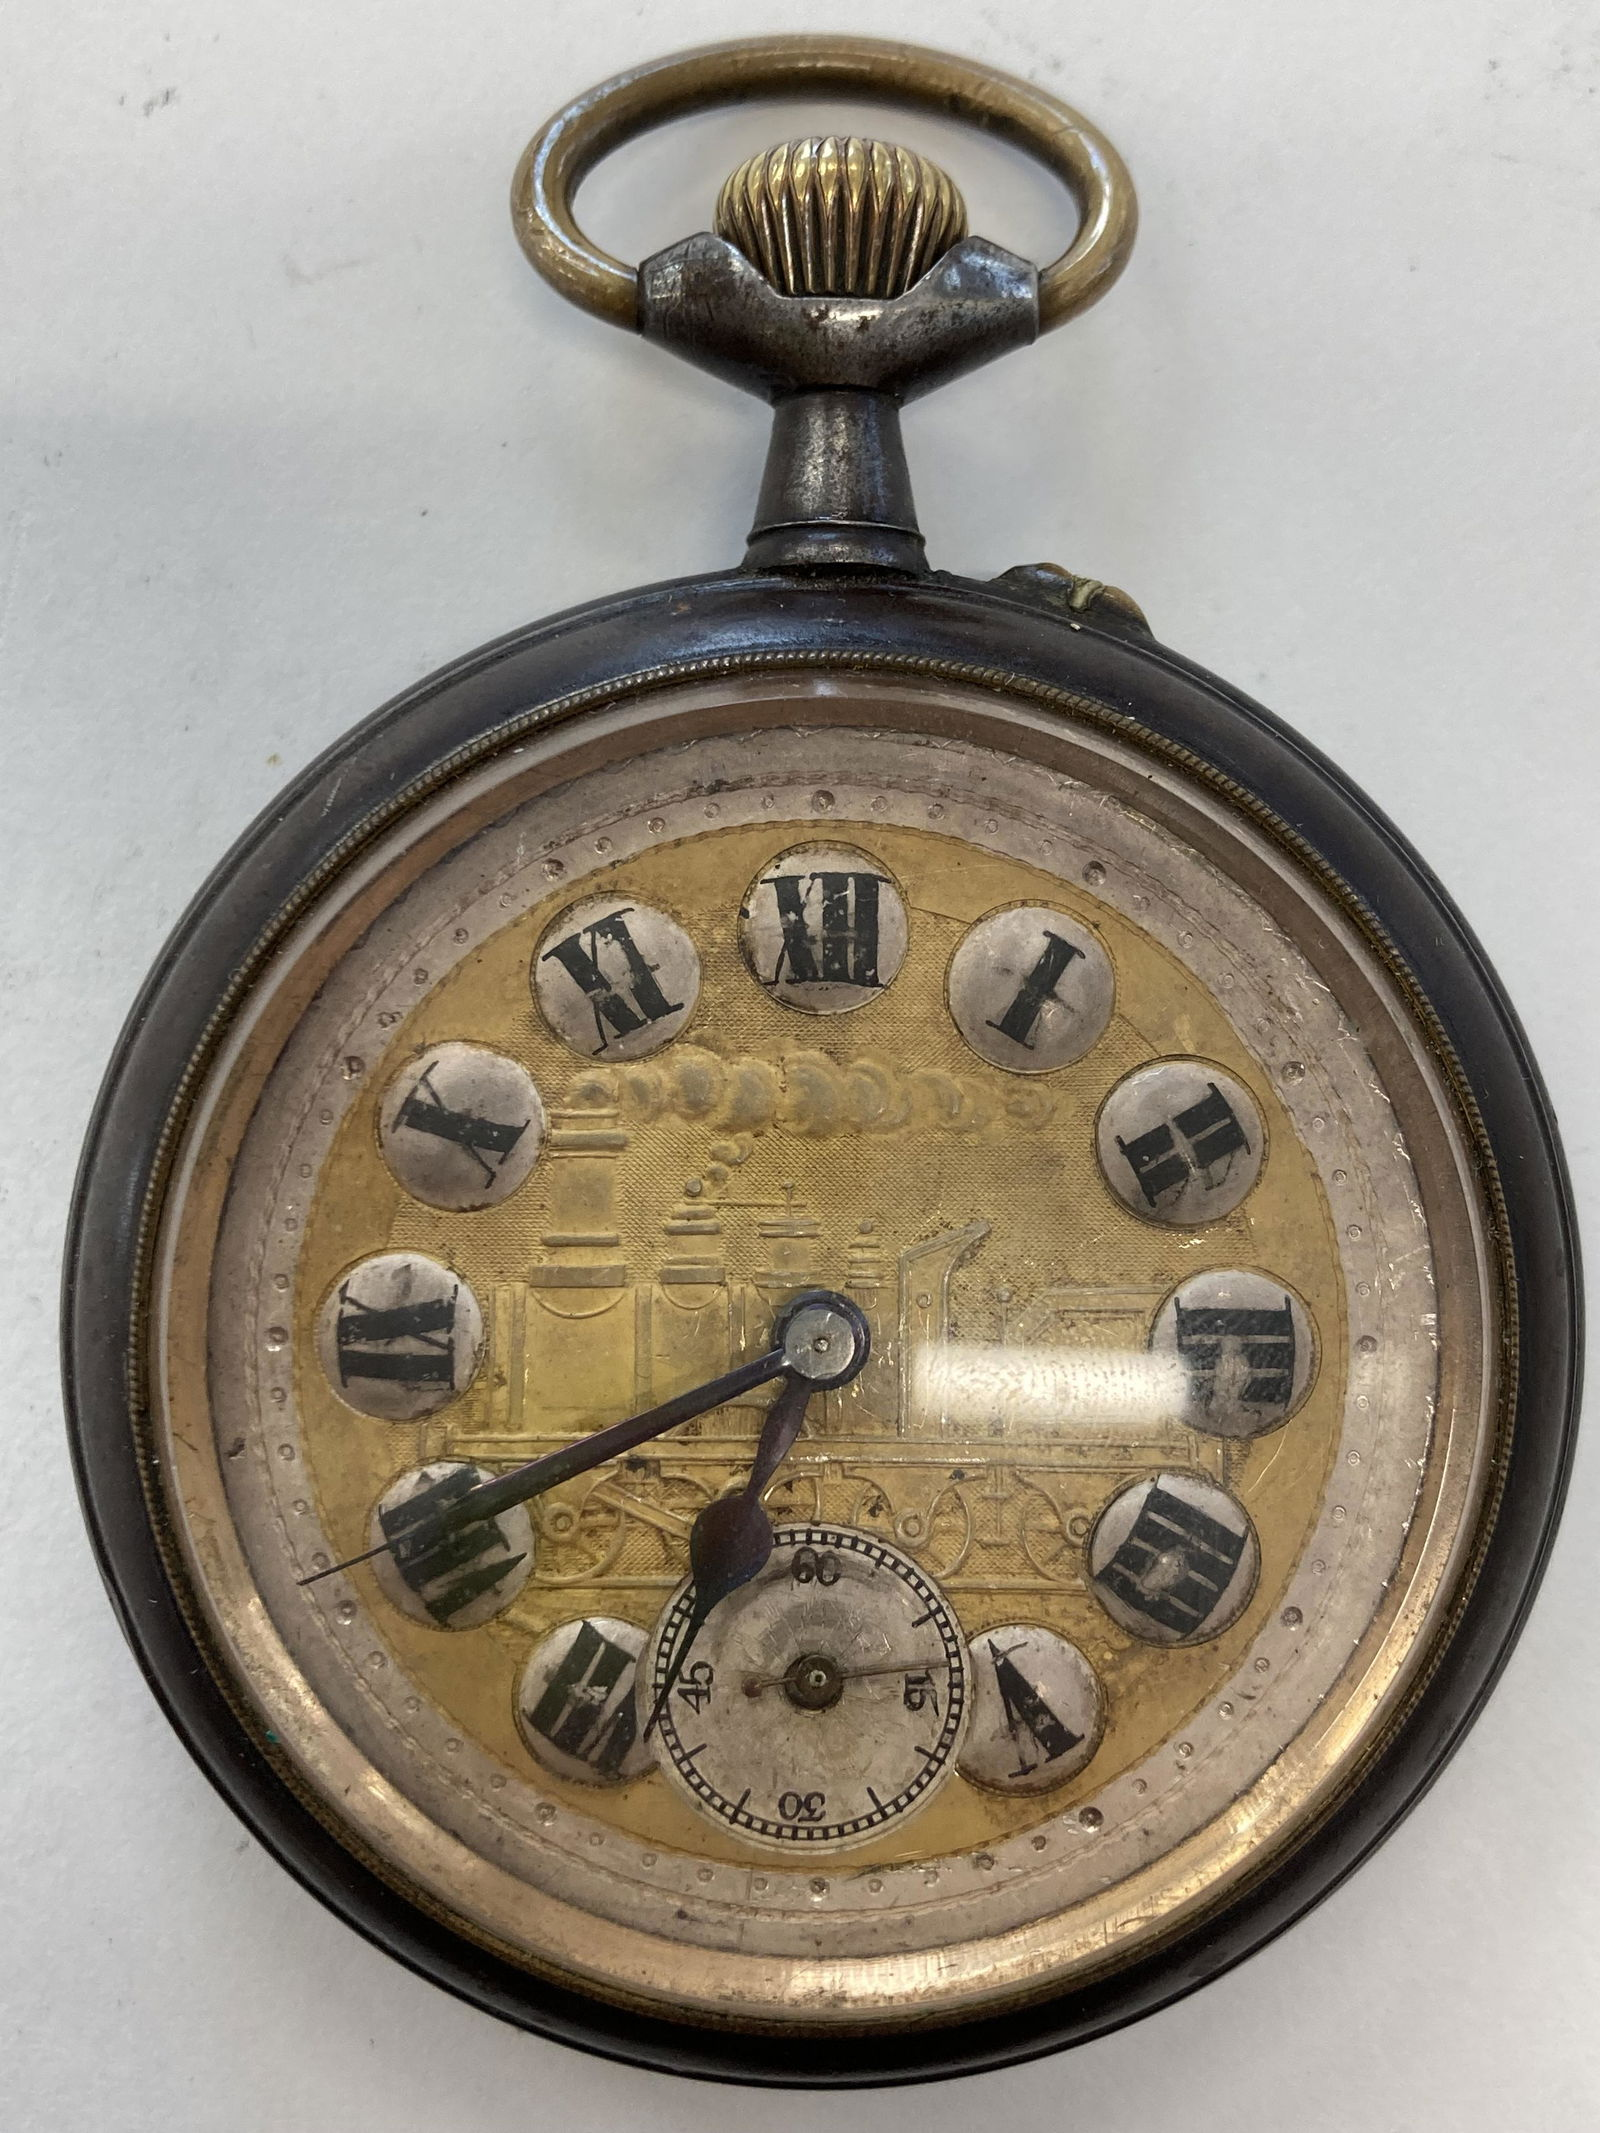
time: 6:40
